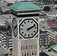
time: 2:11
